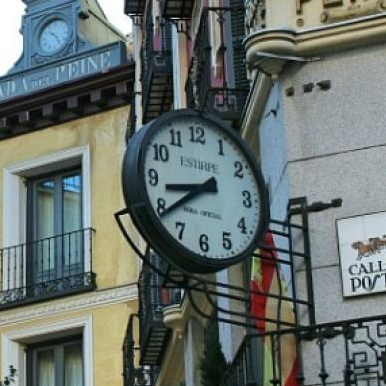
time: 8:38
